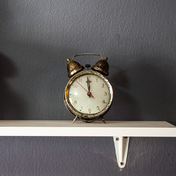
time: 11:59
